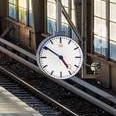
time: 4:50
